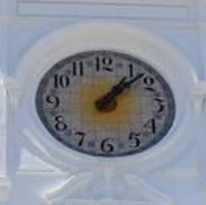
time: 1:07
